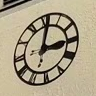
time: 3:01
